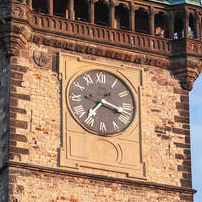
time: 7:17
